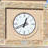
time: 12:40
